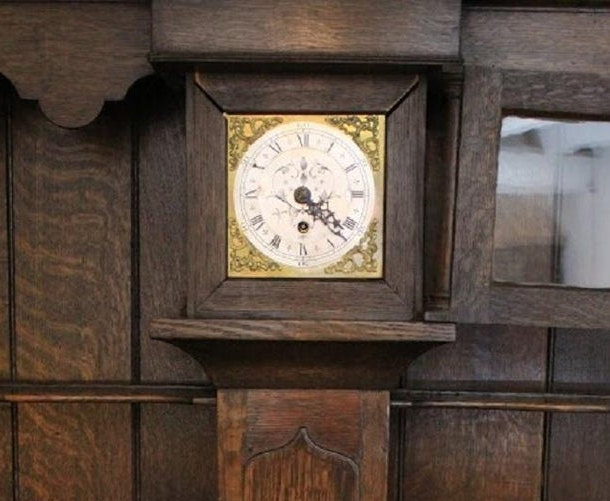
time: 4:21
